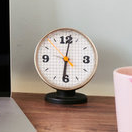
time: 6:01
